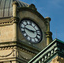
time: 9:12
